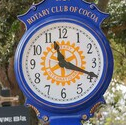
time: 11:18
